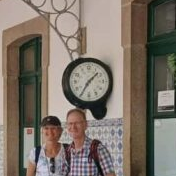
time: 1:34
